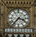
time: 3:36
